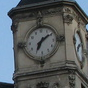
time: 7:09
